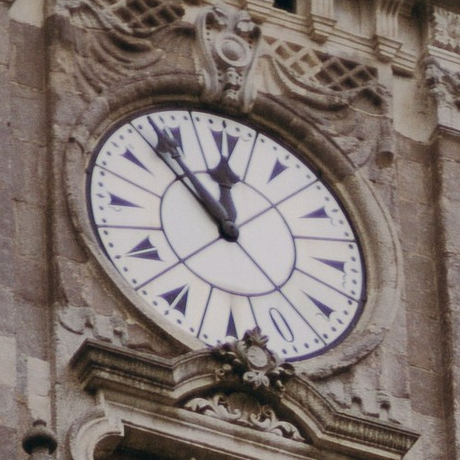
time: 11:53
